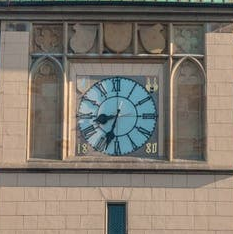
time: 8:33
